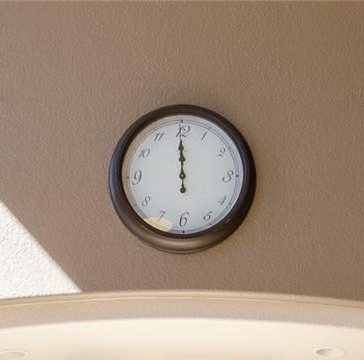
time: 11:59
